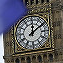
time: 12:09
